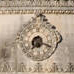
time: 7:18
